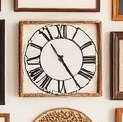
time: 4:54
